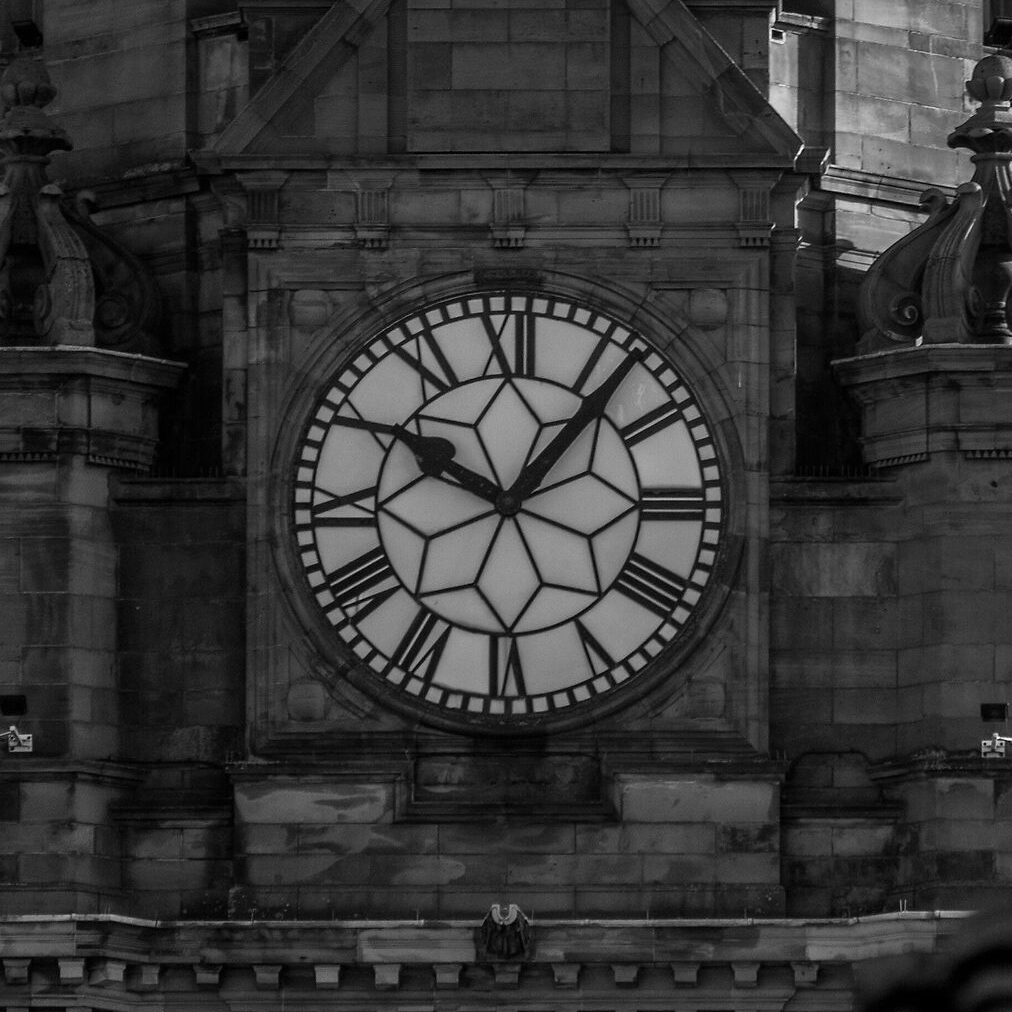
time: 10:06
